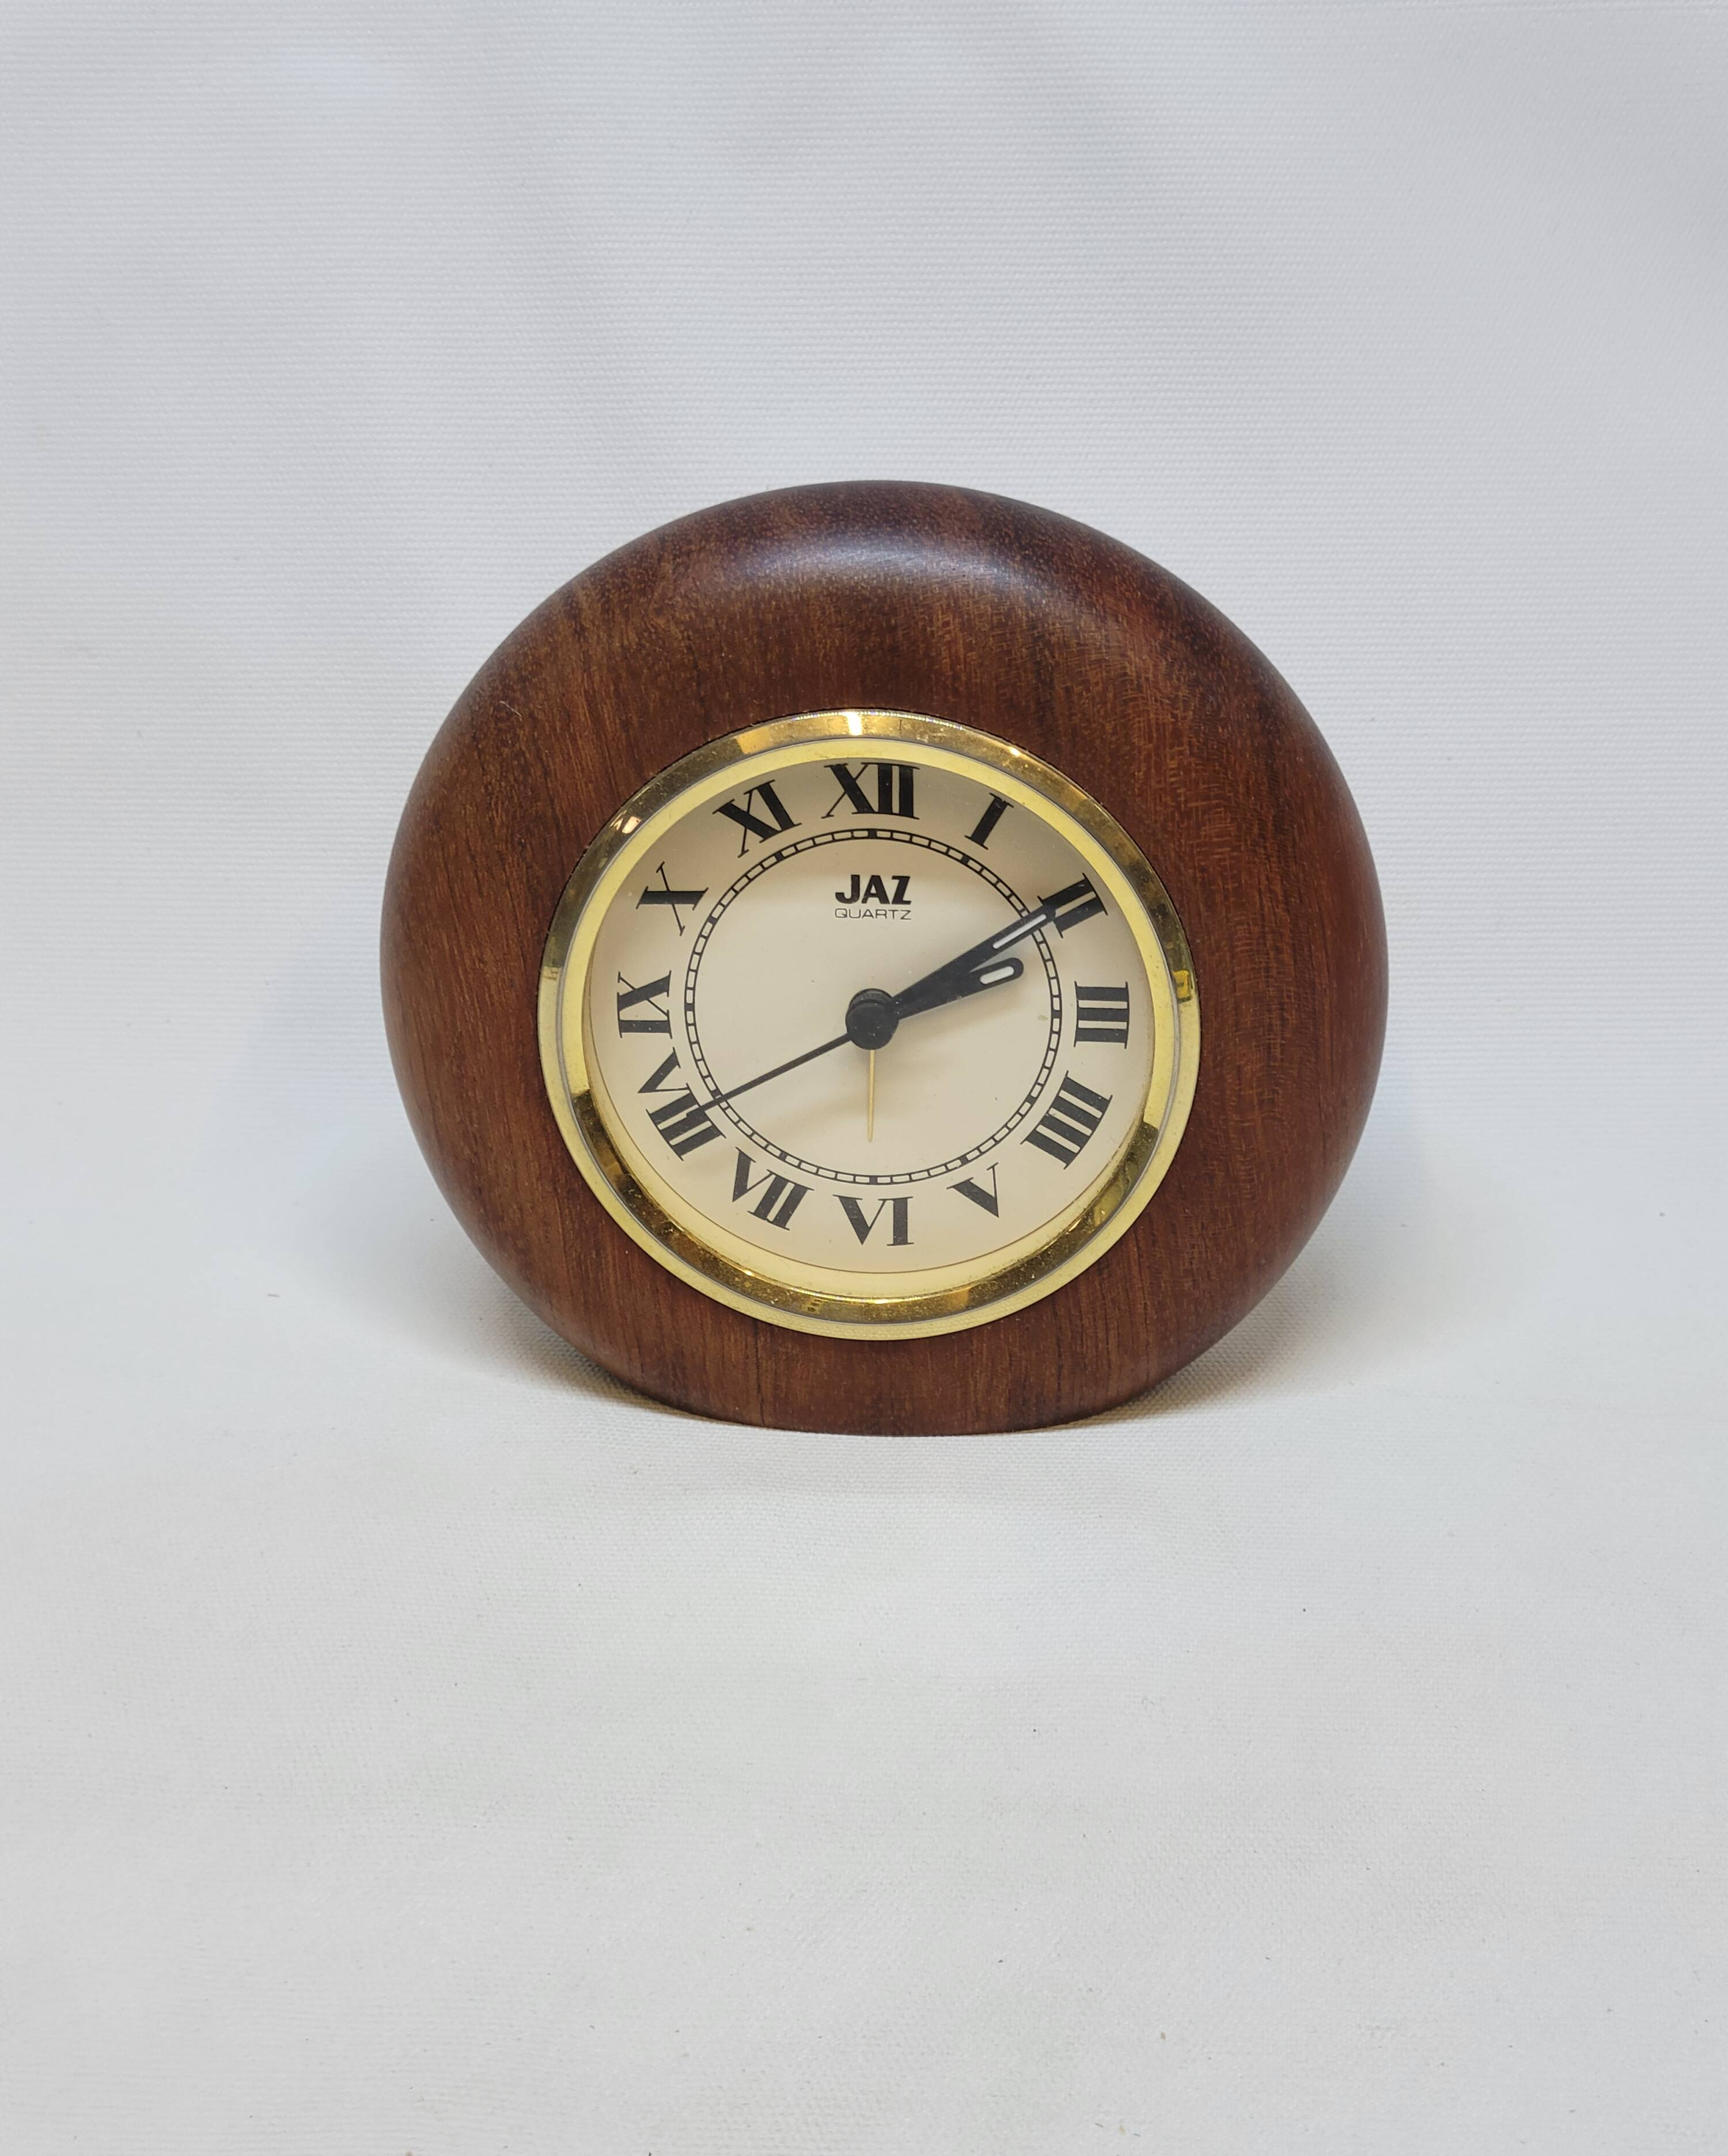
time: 2:09
